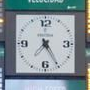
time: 7:25
